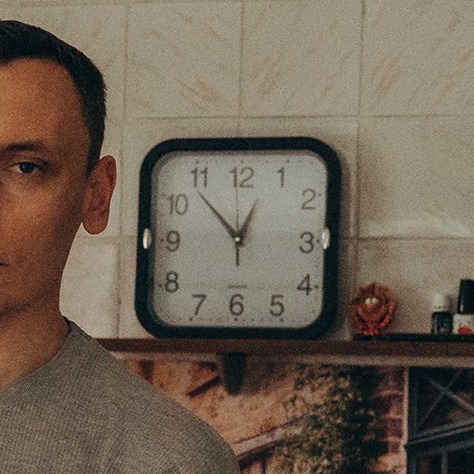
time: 12:52
